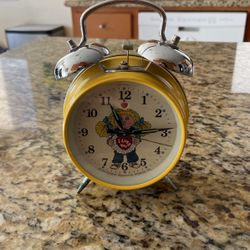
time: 11:14
